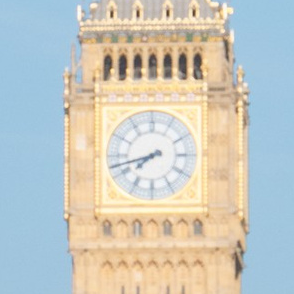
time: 7:42
